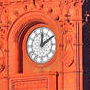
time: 12:09
